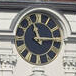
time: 11:14
